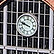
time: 9:48
